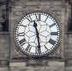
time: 11:28
